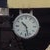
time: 10:28
